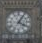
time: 4:04
